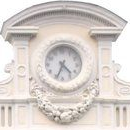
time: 4:33
